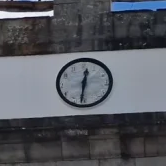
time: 12:31
